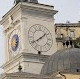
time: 1:39
